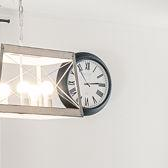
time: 2:54
